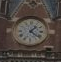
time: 1:21
